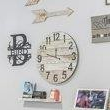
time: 9:14
